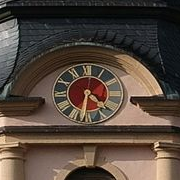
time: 4:31
